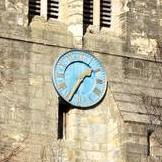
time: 1:34
